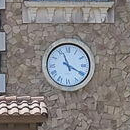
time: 11:19
